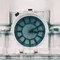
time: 3:10
